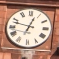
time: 12:47
